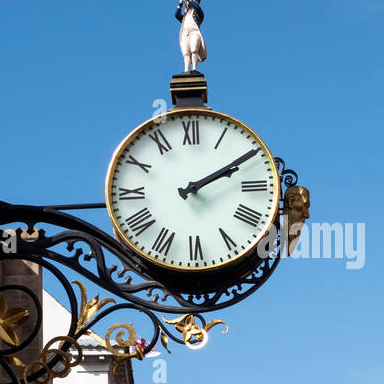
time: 2:09
